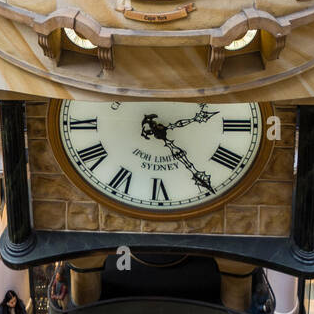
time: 2:24
